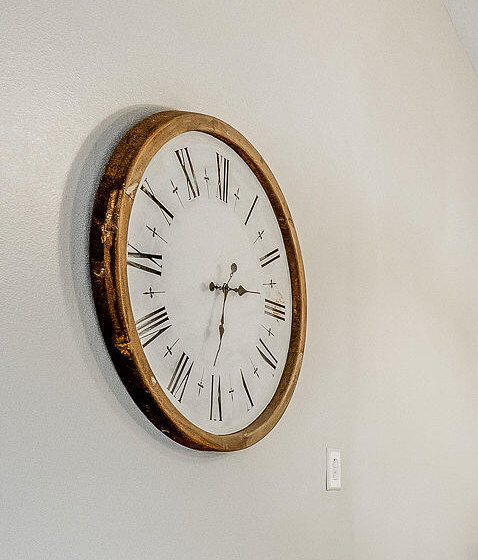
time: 6:13
